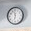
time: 11:32
